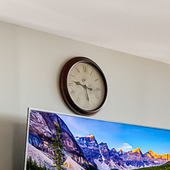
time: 9:27
